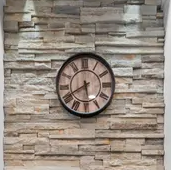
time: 5:40
